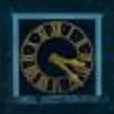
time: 3:22
